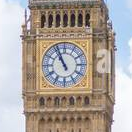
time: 10:56
